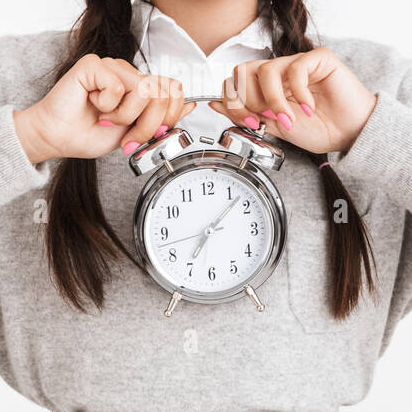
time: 7:07
